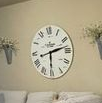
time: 2:30
